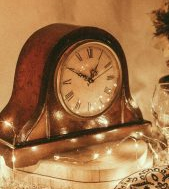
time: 12:49
